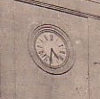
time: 4:31
